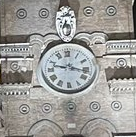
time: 9:17
